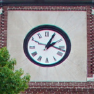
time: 2:04
